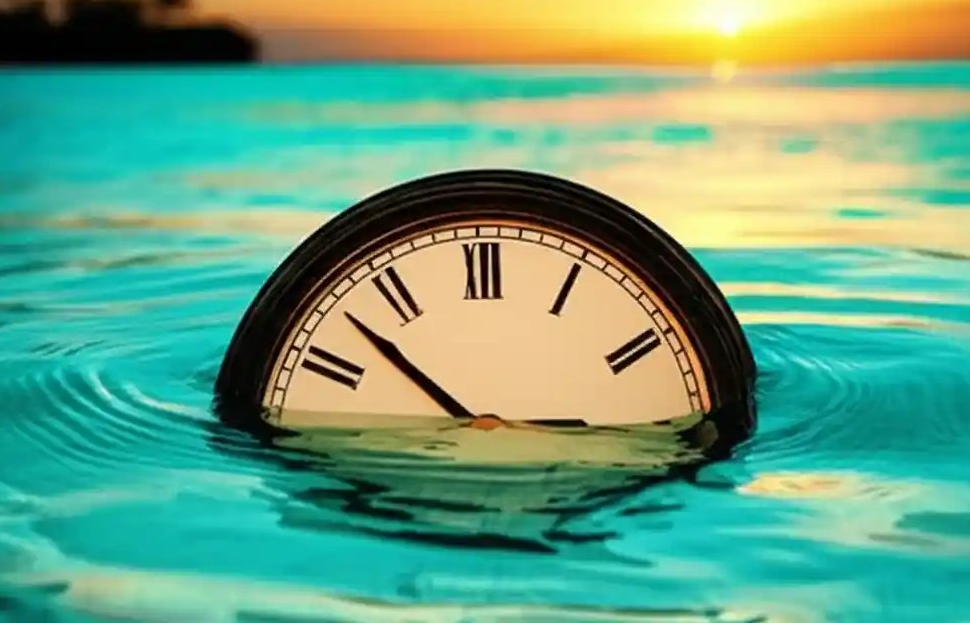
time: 2:52
